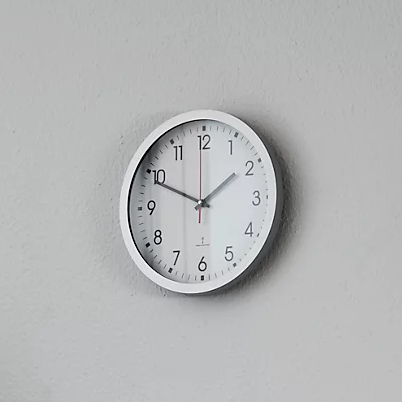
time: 1:49
